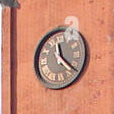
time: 11:21
